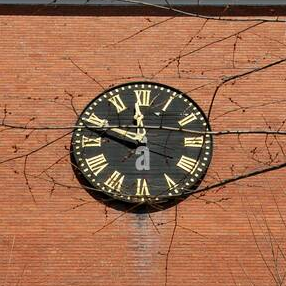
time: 11:48
